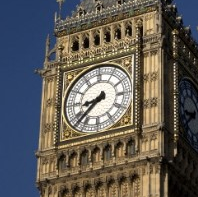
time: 8:37
